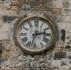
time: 2:32
